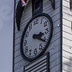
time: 3:20
